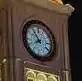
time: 7:53
